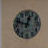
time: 12:48
